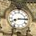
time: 8:14
